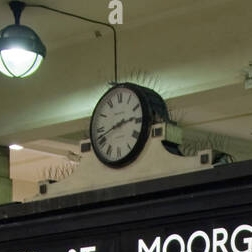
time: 2:41
